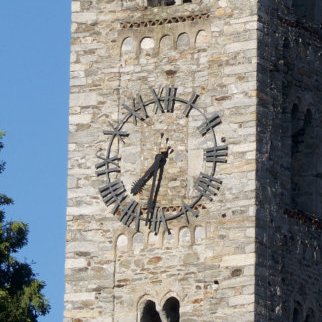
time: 7:32
